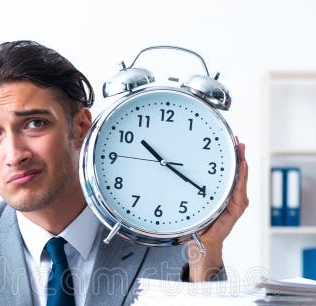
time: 10:19
